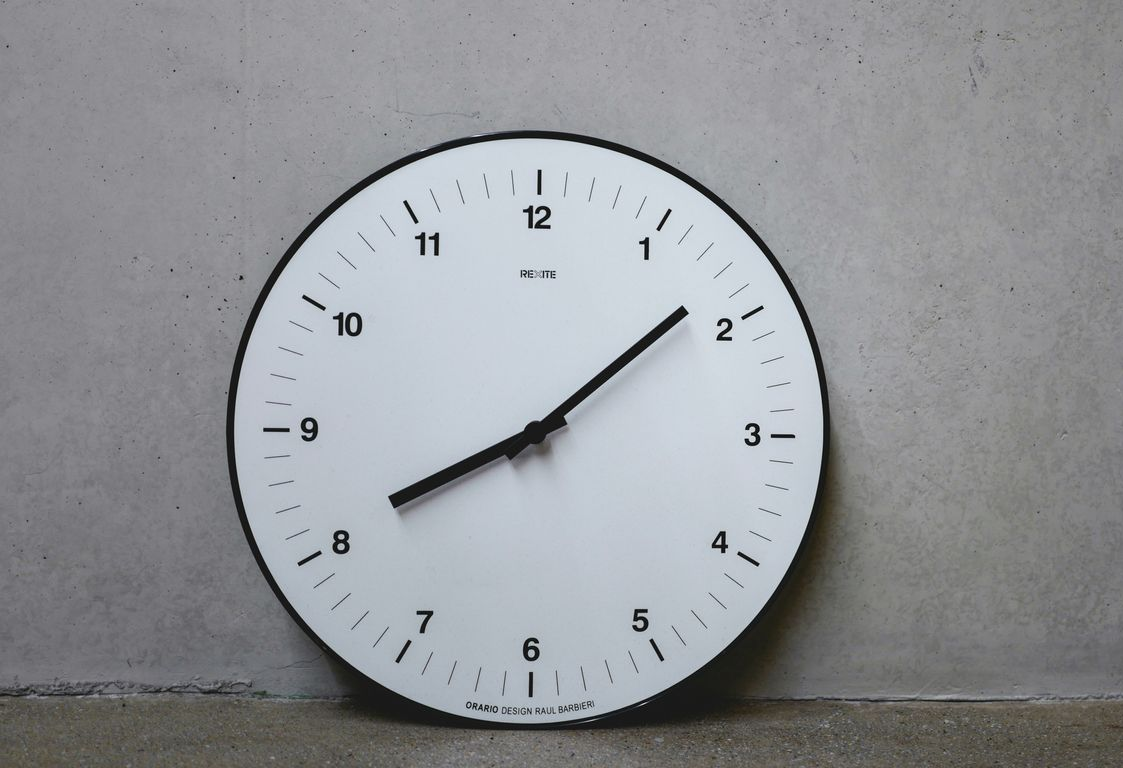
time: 8:08
